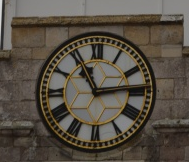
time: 11:13
